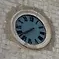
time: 7:38
